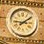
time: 9:09
